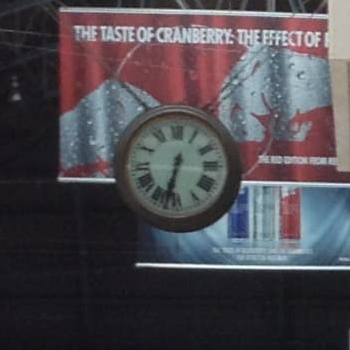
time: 6:32
